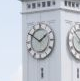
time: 1:50
